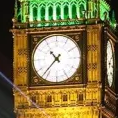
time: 10:37
